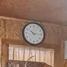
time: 10:14
